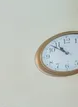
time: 10:52
